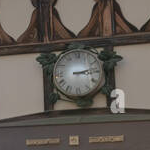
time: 3:12
